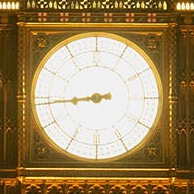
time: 8:44
